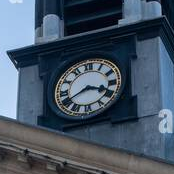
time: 3:40
